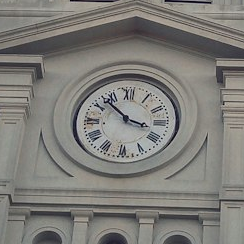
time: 3:52
